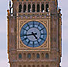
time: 4:43
